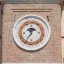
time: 11:35
